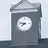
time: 7:47
